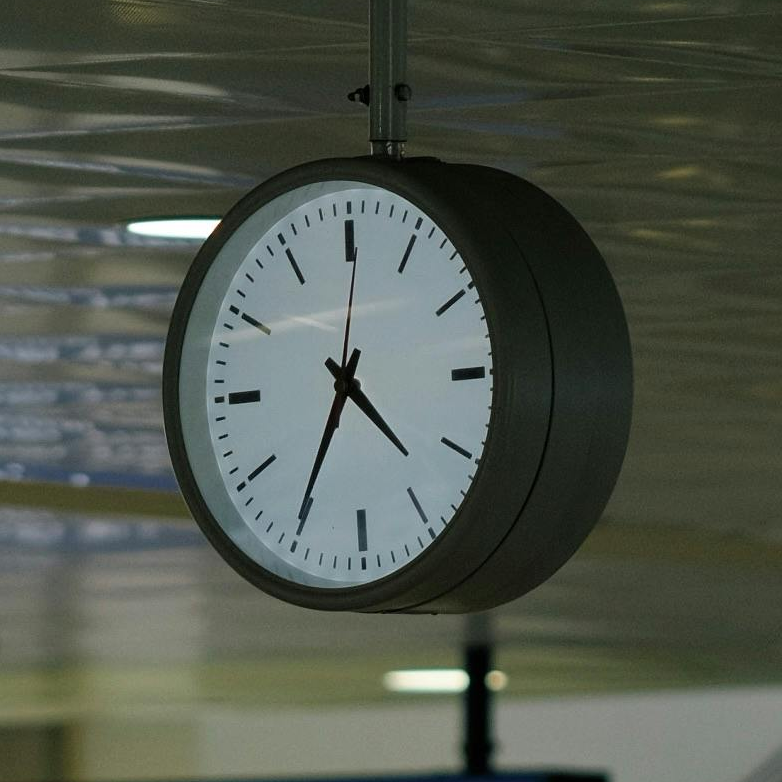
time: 4:35
